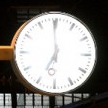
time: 6:59
